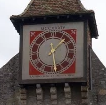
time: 1:28
